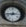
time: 2:44
